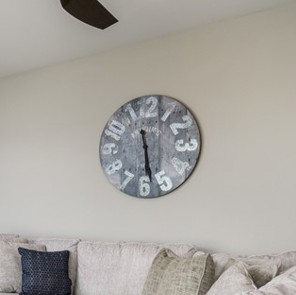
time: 11:28
